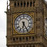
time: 6:25
